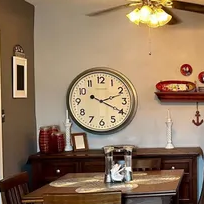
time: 2:19
